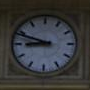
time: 8:48
